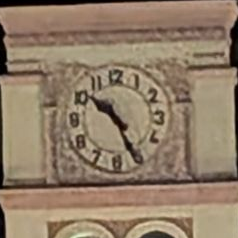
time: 10:25
